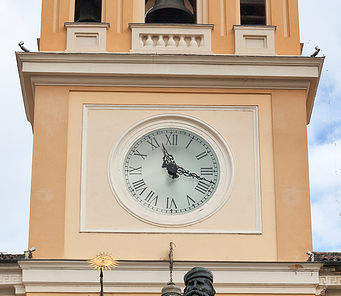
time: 11:18
